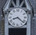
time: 8:21
